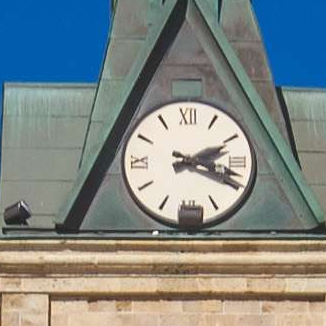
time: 2:18
